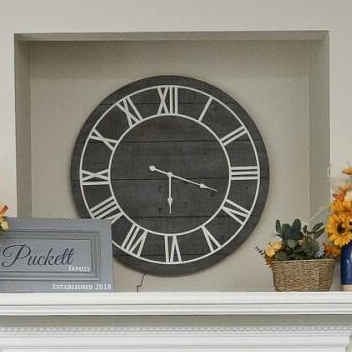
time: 6:18
